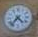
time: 4:36
